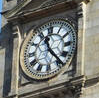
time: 11:23
